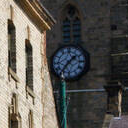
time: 1:36
